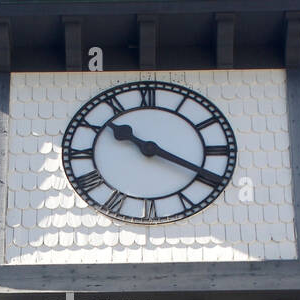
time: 10:19
